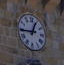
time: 12:44
